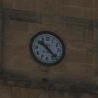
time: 10:22
